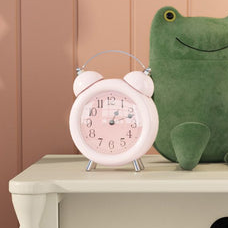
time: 1:12
